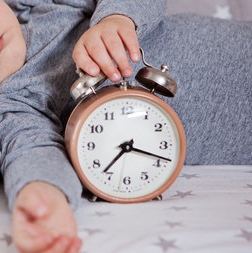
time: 7:18
